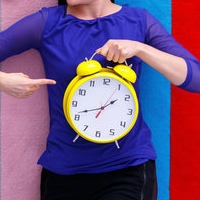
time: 1:41
